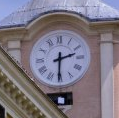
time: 2:30
